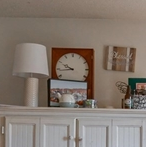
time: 9:43
